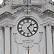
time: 1:25
